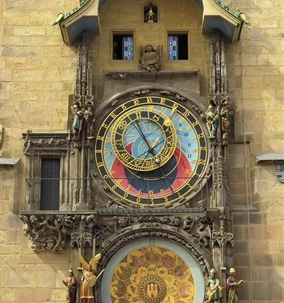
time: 4:55
